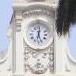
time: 12:26
